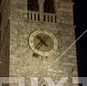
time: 10:36
